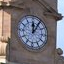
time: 12:05
